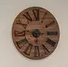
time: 6:15
